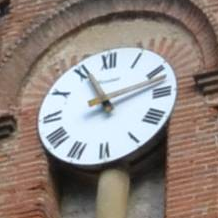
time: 11:12
